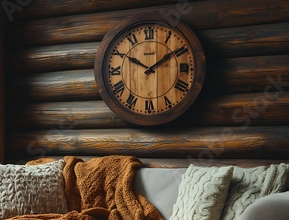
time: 1:50
